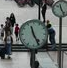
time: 11:25
